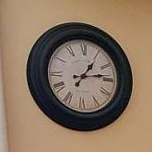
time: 1:13
